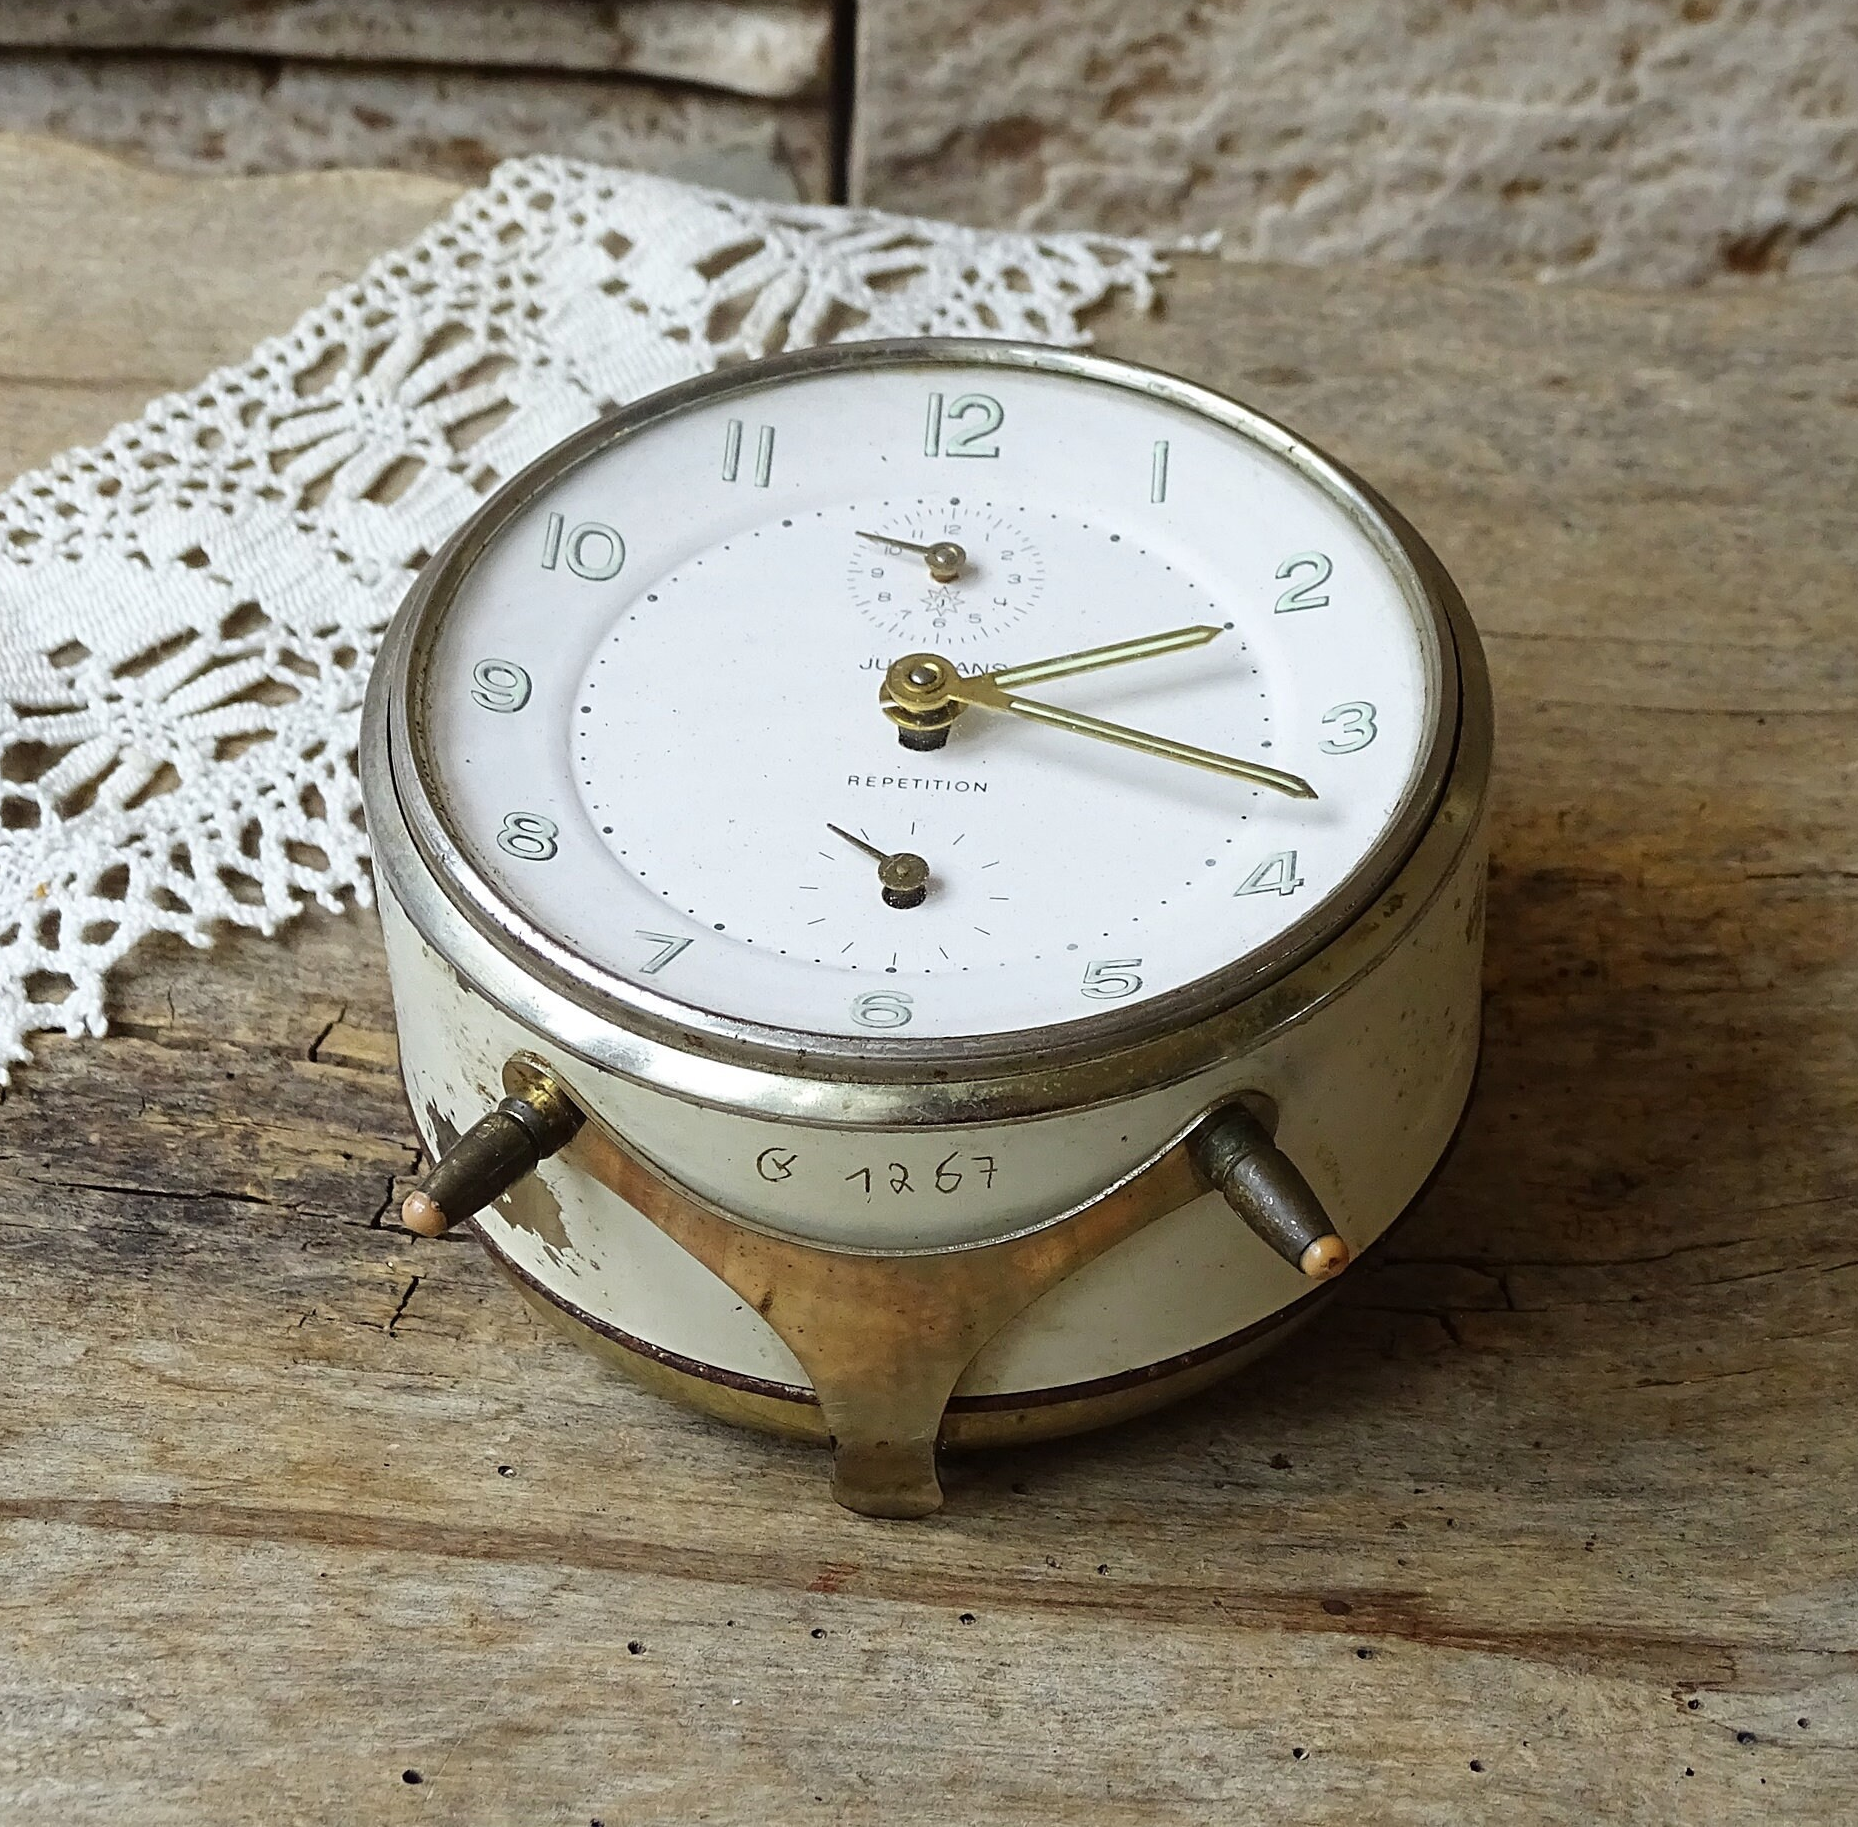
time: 2:18
